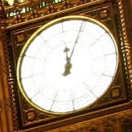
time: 12:04
